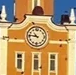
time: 10:46
